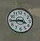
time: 3:44
